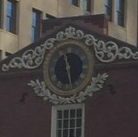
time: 11:28
